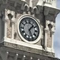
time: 1:26
